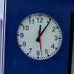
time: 12:05
